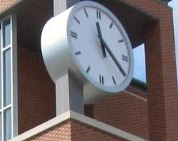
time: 11:20
